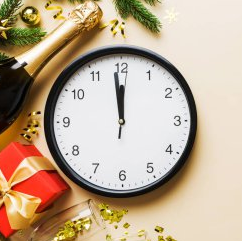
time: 11:58
